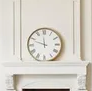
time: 11:48
